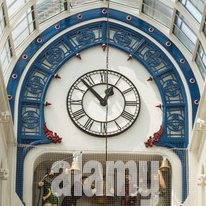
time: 12:53
